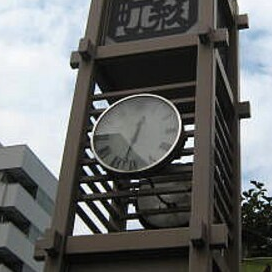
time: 12:32
